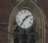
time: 1:35
